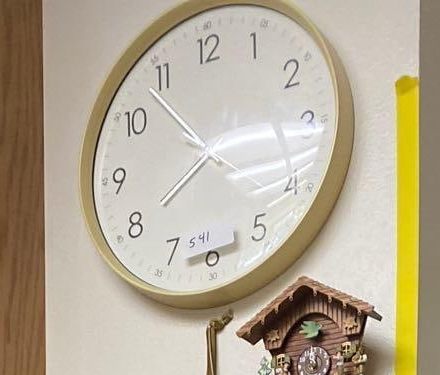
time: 7:53
